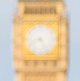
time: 4:42
